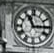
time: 11:14
